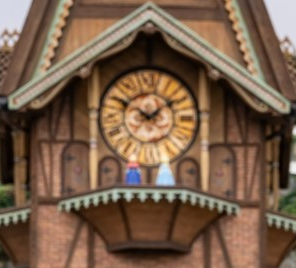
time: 1:50
